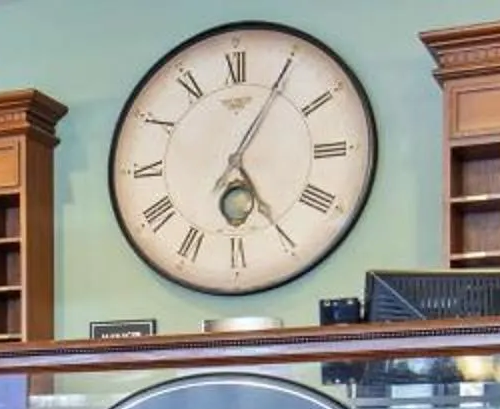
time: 5:05
